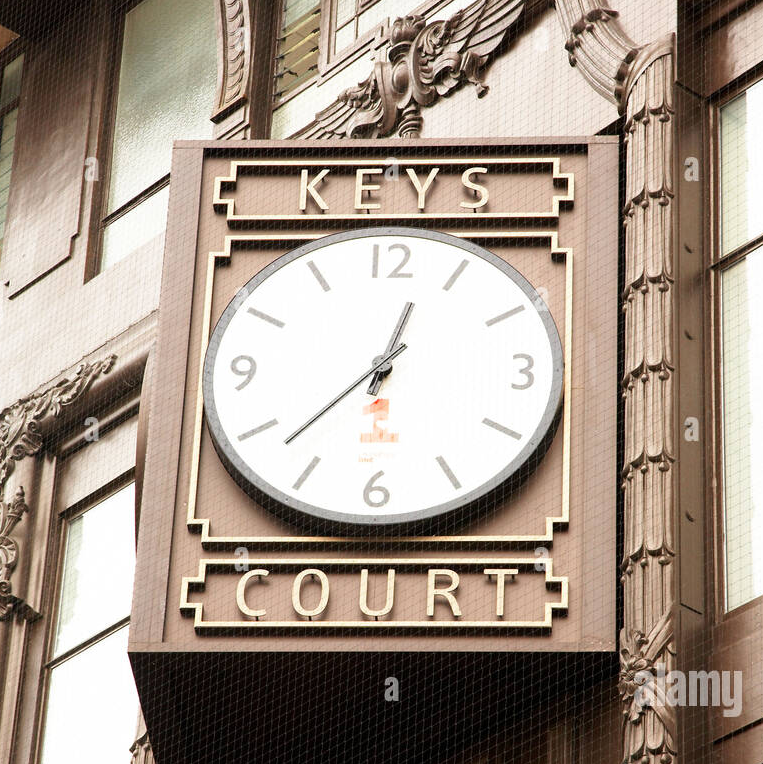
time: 12:37
